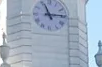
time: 11:14
